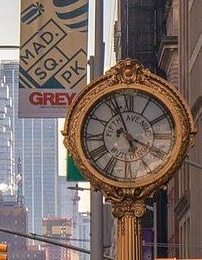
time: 3:56
